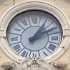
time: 1:10
